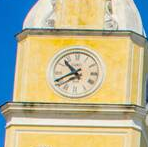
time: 10:40
